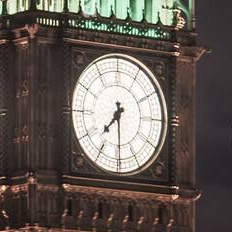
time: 7:29
